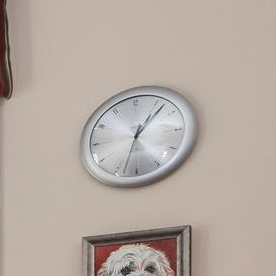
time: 1:33
